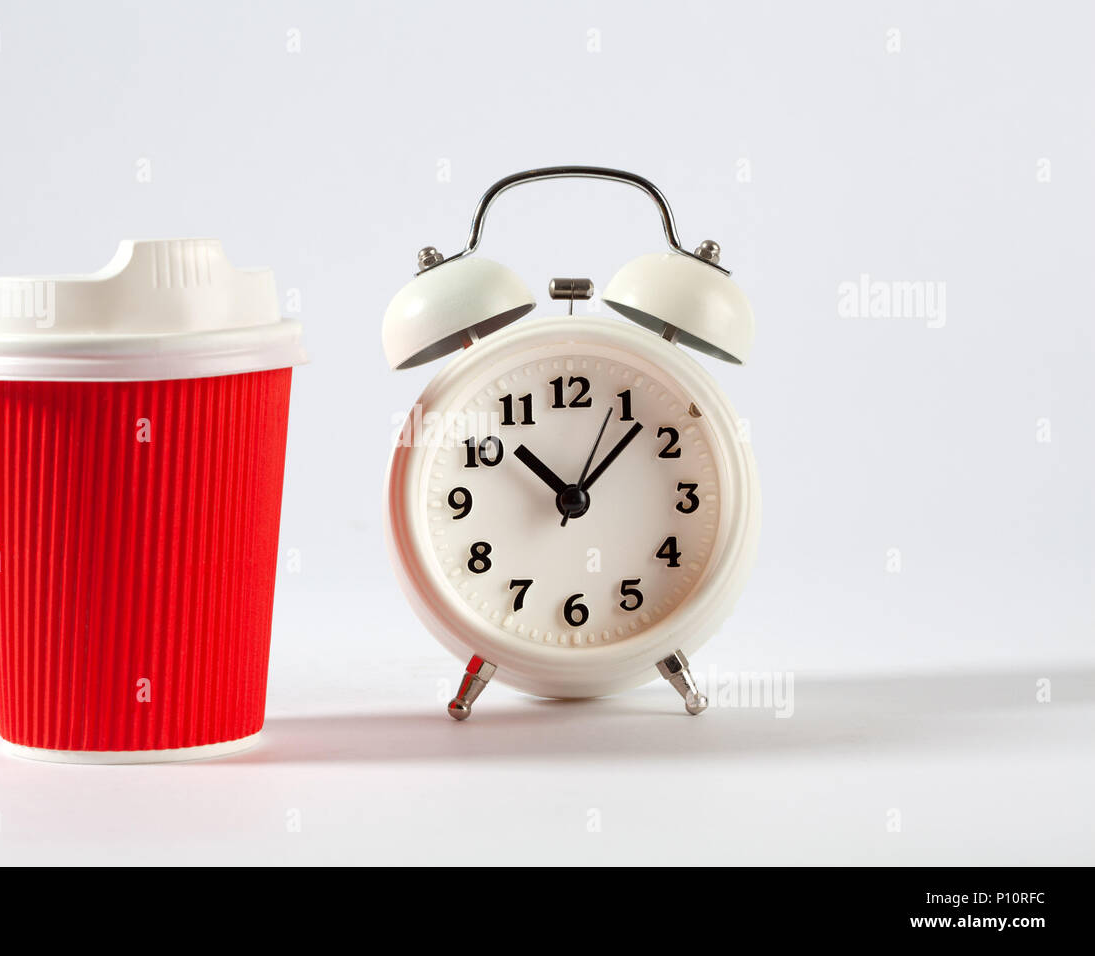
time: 10:07
